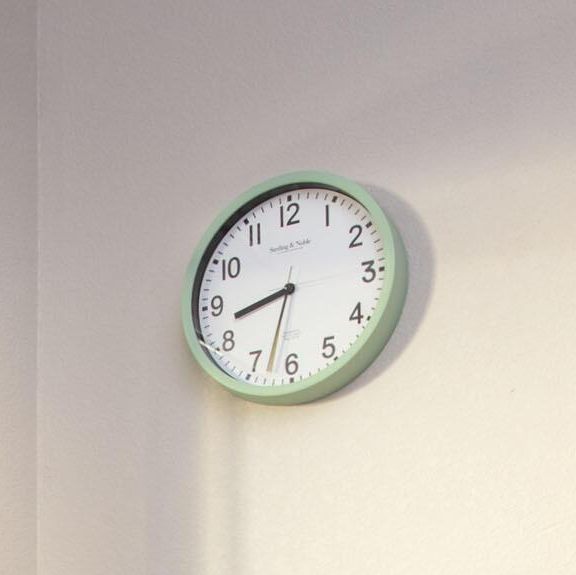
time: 8:32
